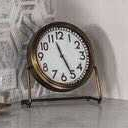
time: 11:25
